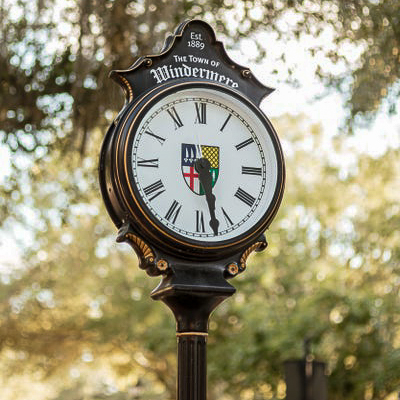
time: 5:27
